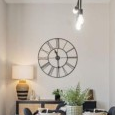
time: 11:29
